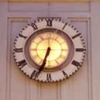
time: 6:33
